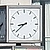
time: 8:38
